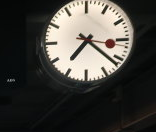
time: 7:21
